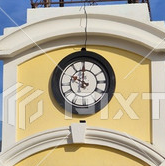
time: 10:00
